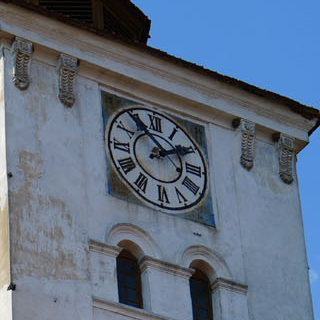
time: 1:54
